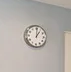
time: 1:00
